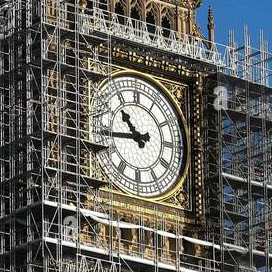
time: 10:43
